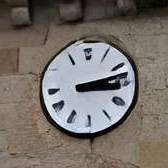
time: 3:12
